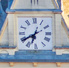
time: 6:39
